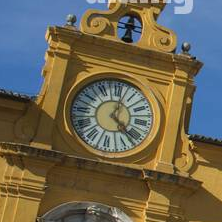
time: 4:02
